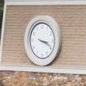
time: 3:19
